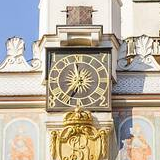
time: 11:35
